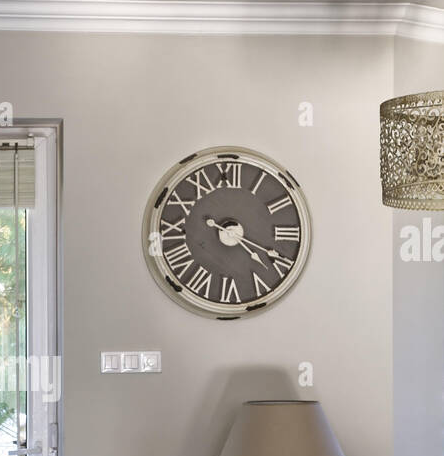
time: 4:19
